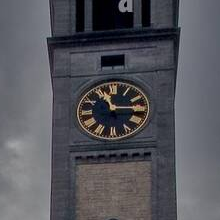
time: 11:14
